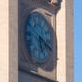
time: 5:18
